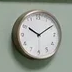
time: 10:09
